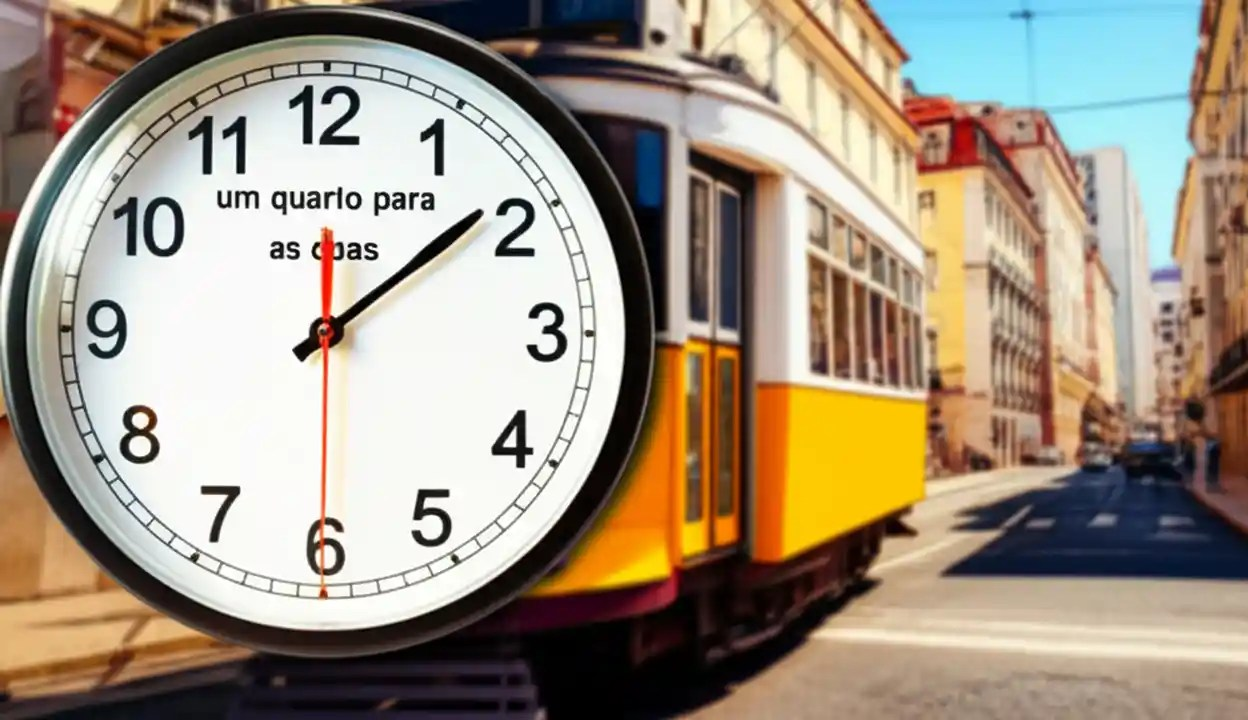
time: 12:08
